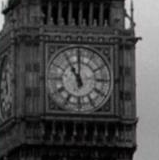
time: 11:00
